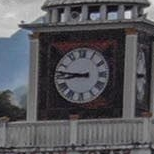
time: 8:46
